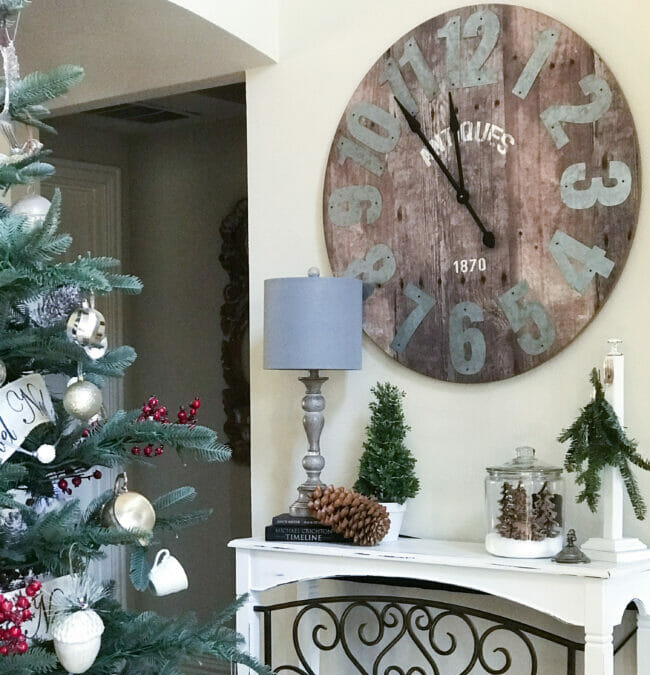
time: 11:53
